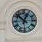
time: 12:52
